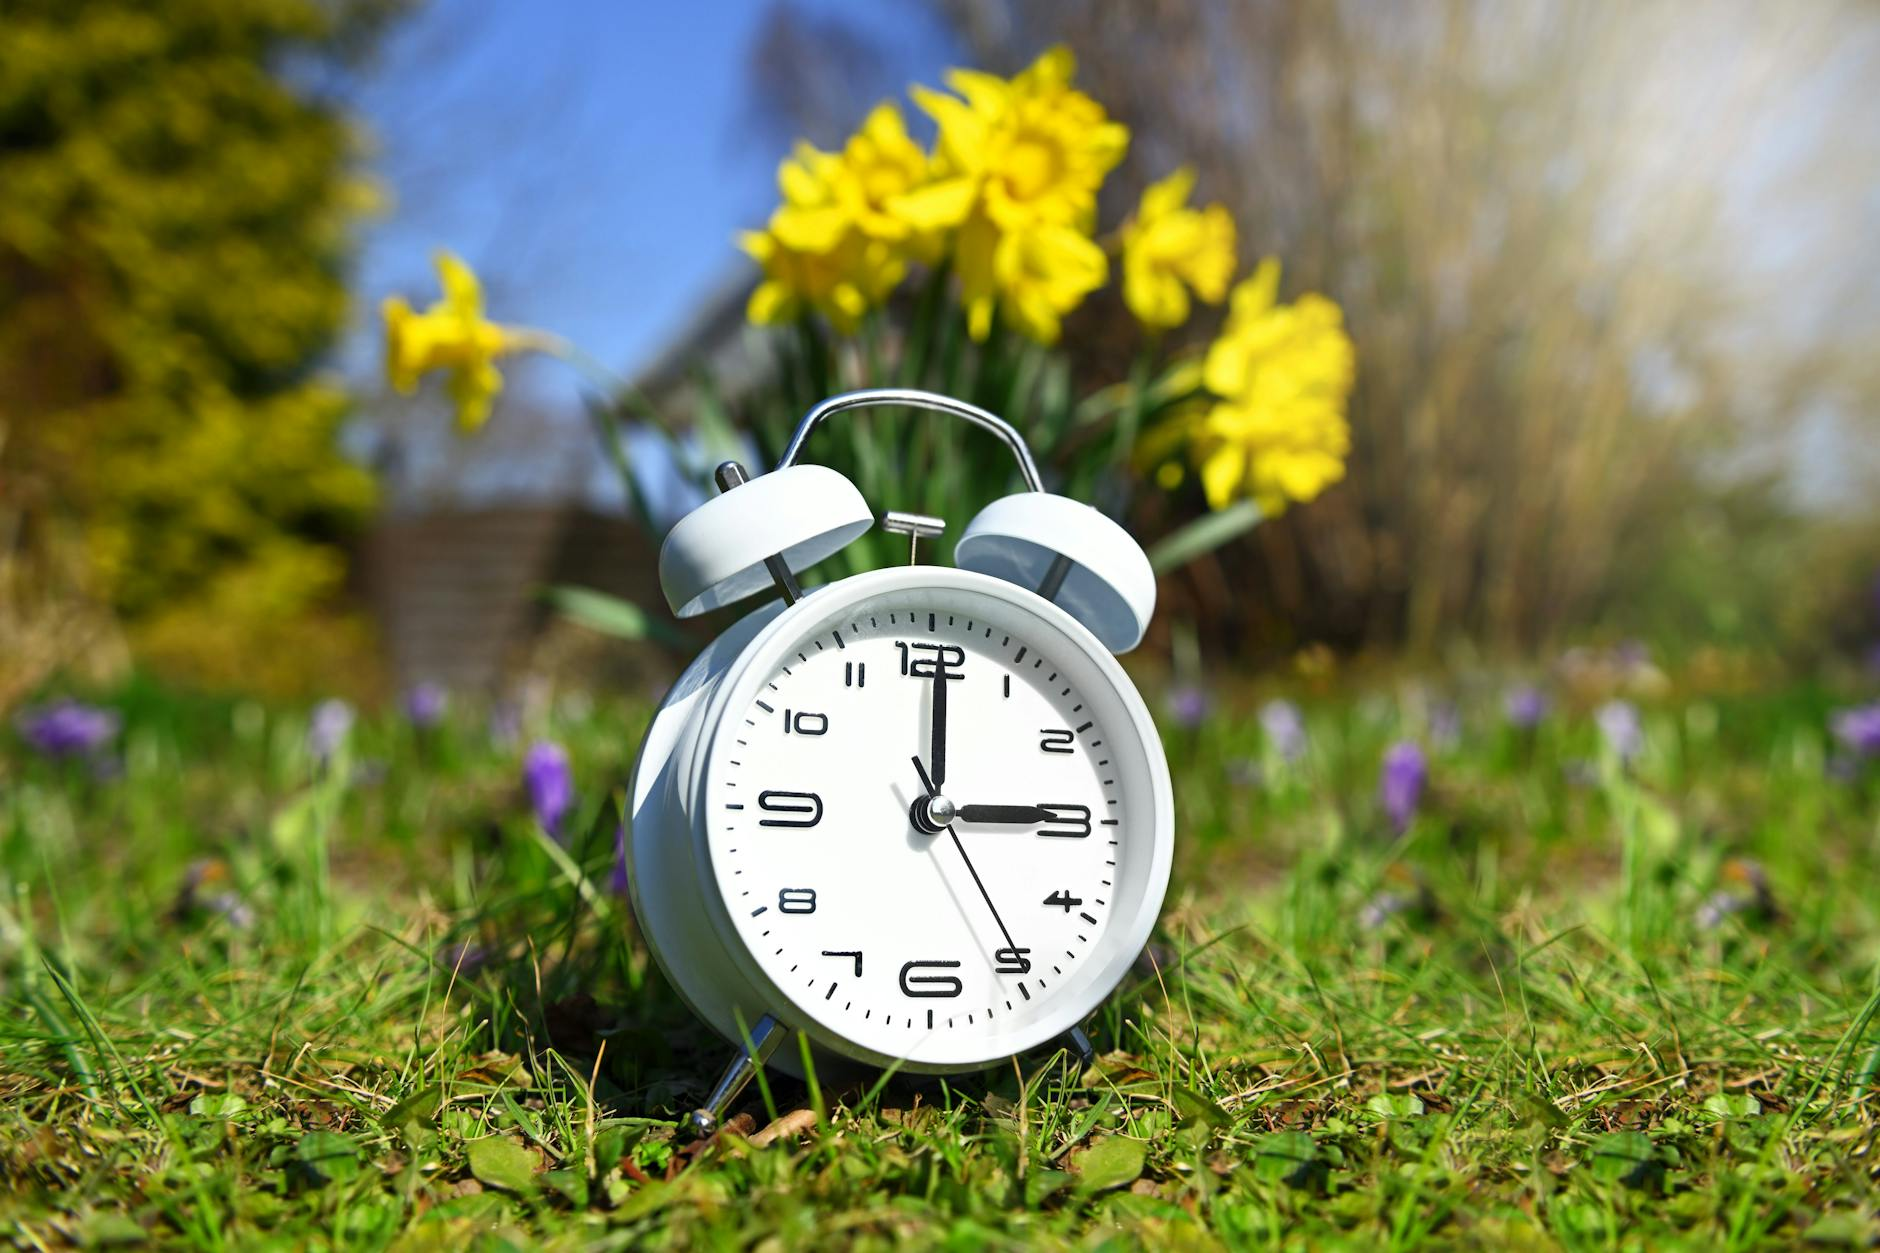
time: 3:00
